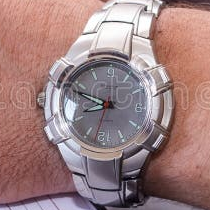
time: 8:48
